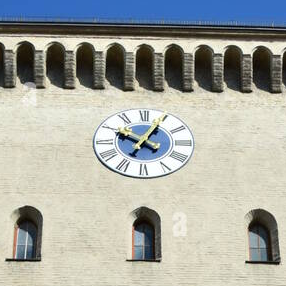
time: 10:04
